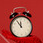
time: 11:54
